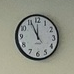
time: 11:55
